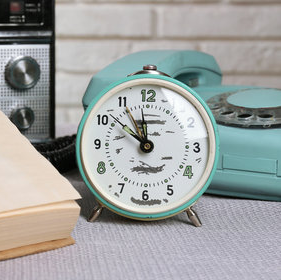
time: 11:51
